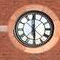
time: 5:59
